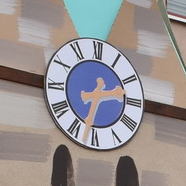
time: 2:32
